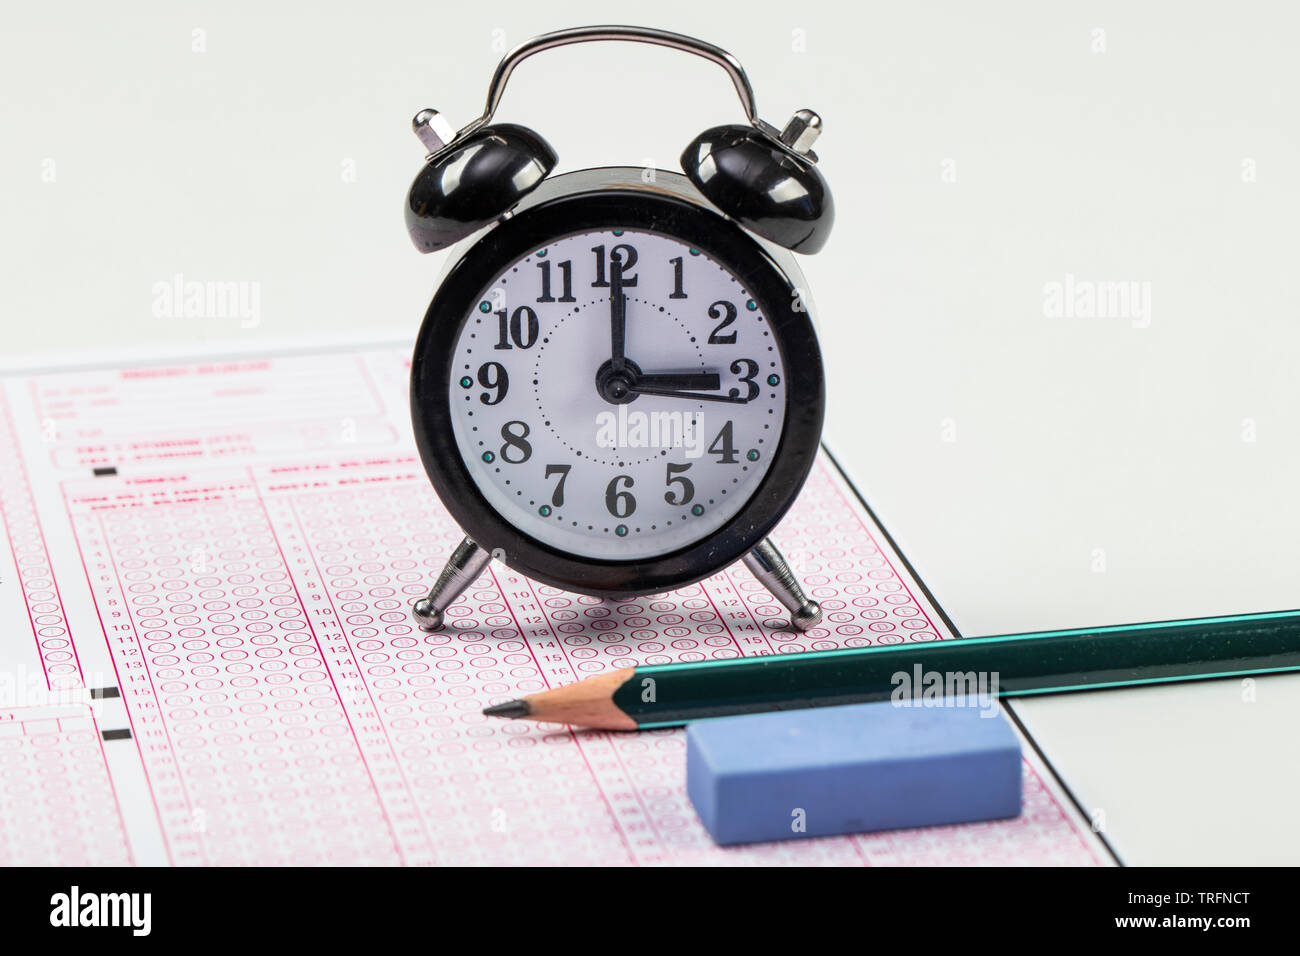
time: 3:00
